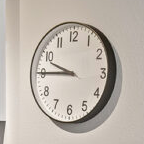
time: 9:45
